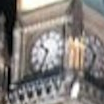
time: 10:34
